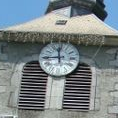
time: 11:44
